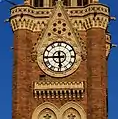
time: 5:44
